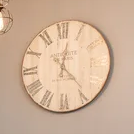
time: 12:23
